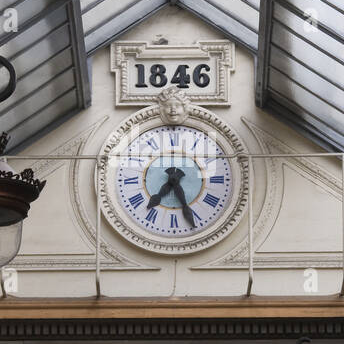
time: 7:26
